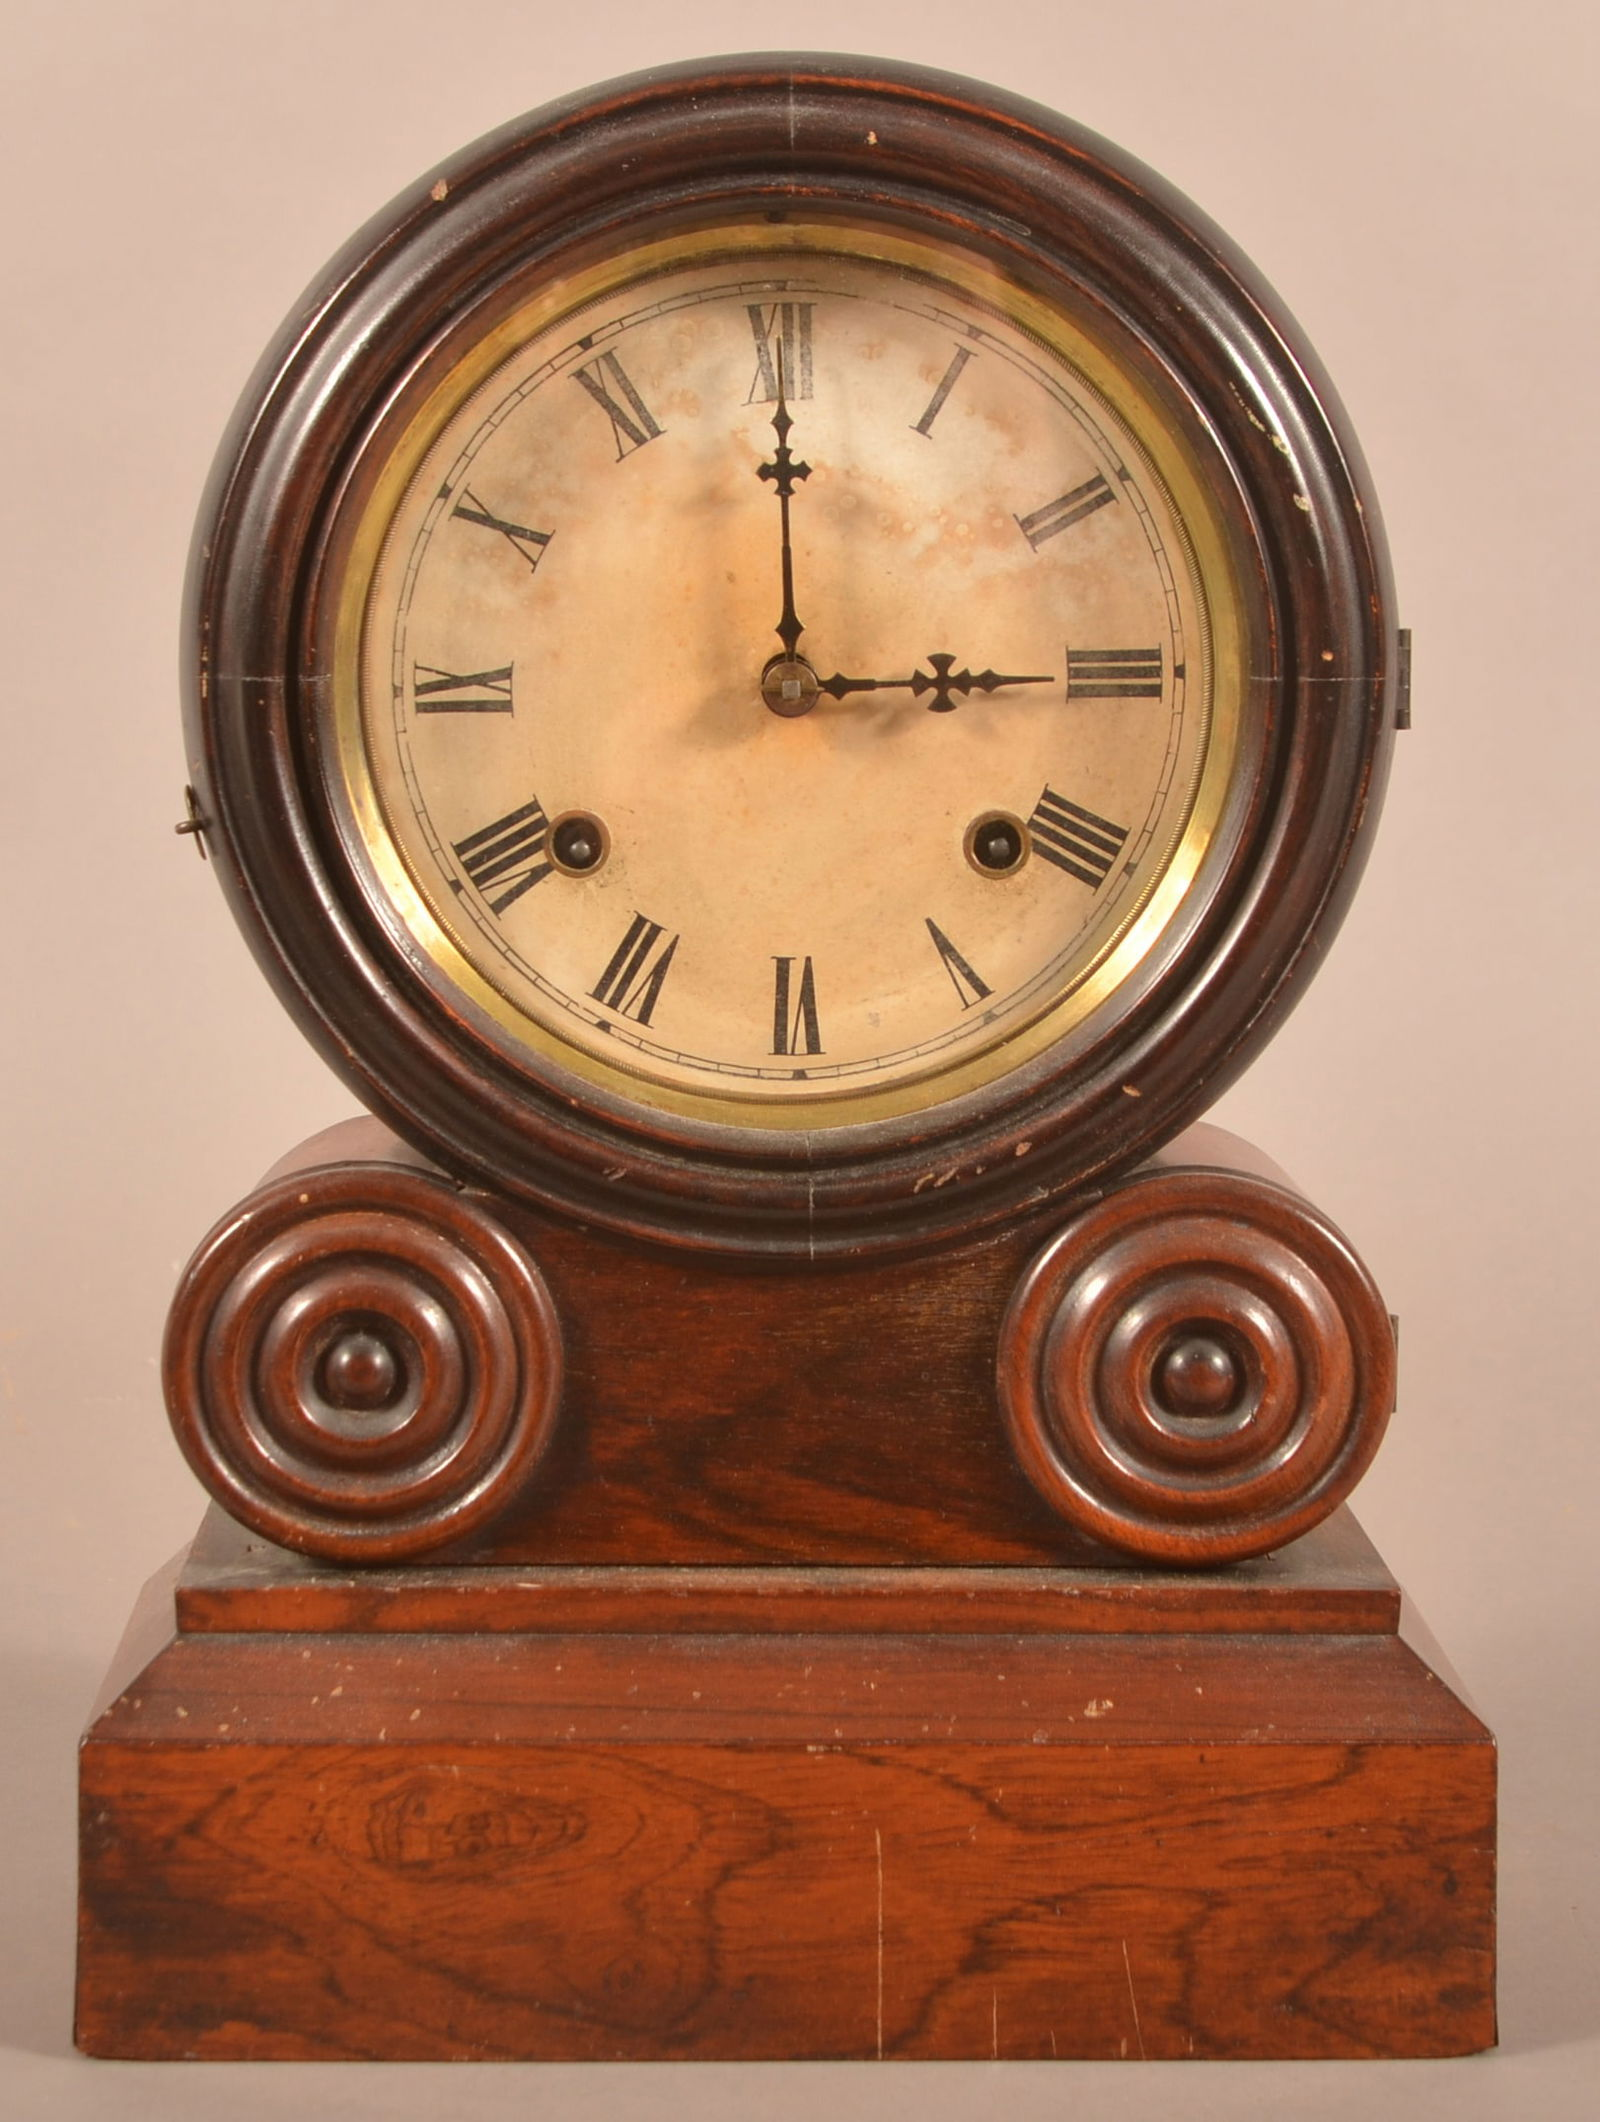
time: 3:00
